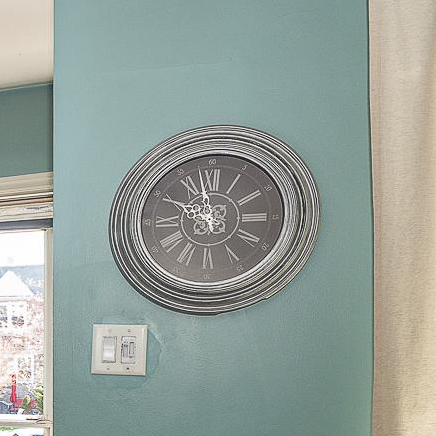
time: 9:57
